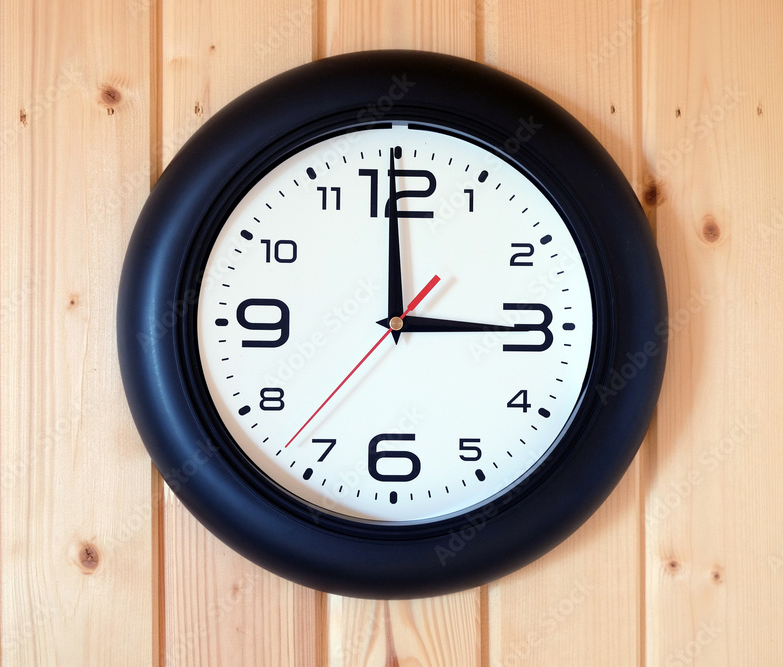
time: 2:59
